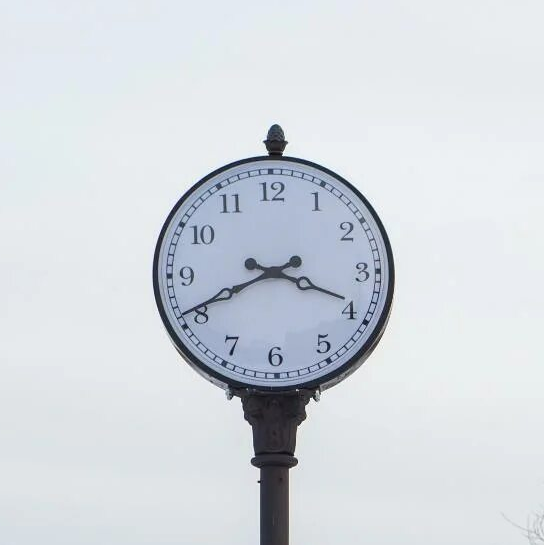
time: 3:40
